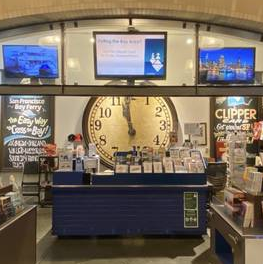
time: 10:58
